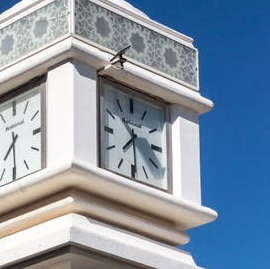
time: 7:29
